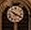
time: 10:19
